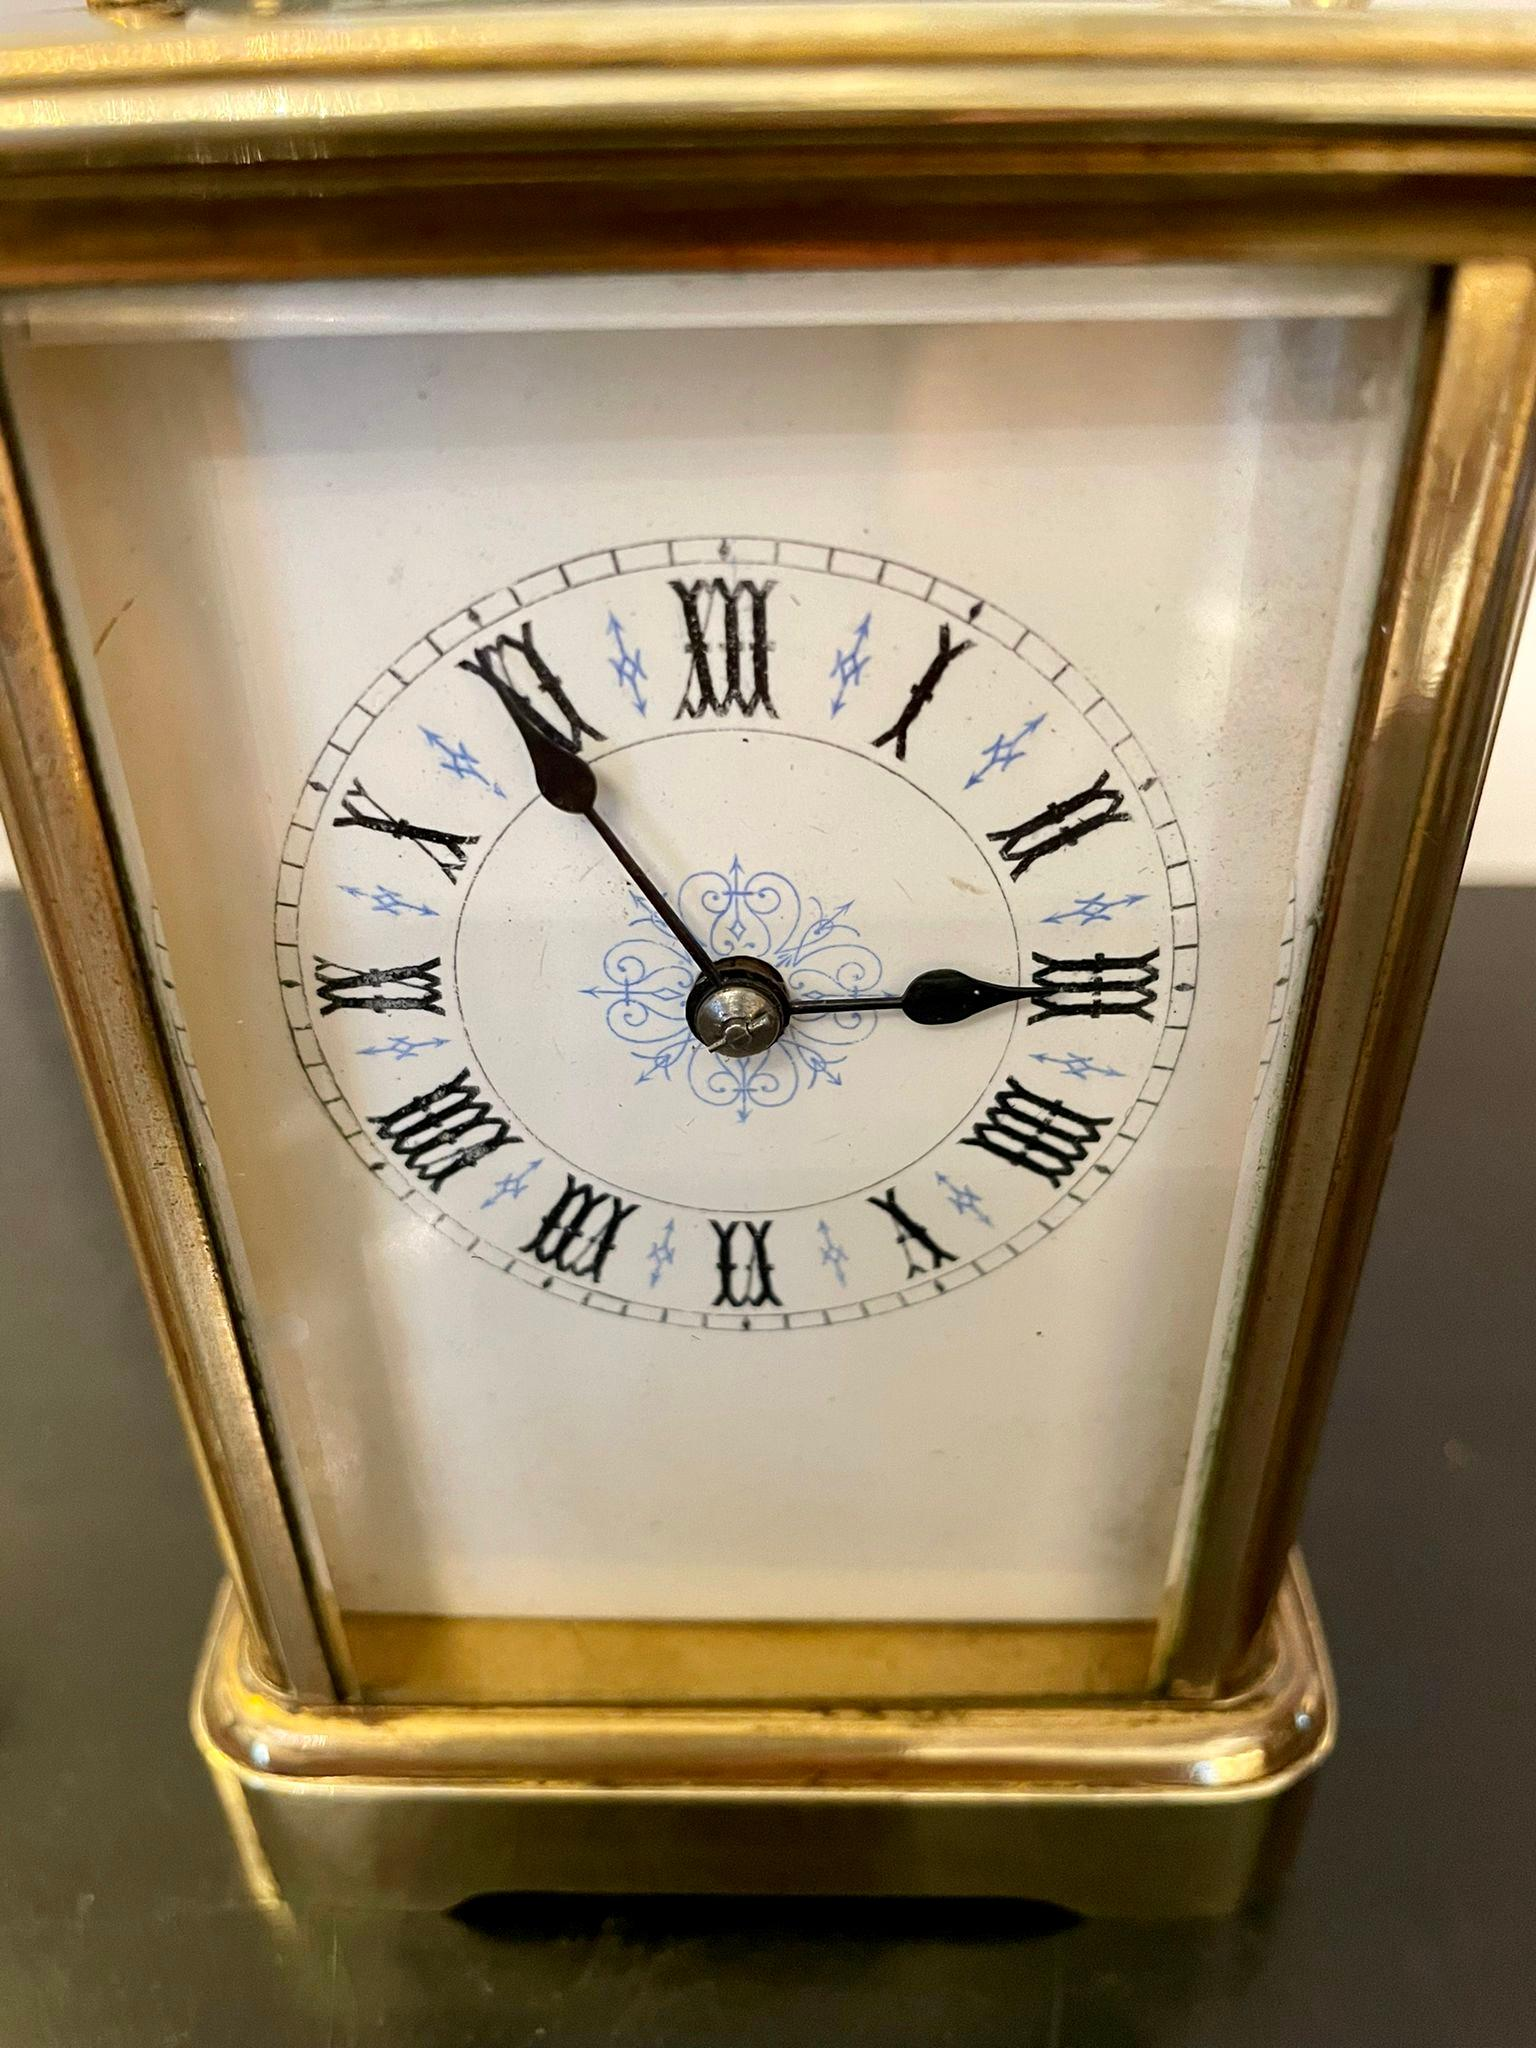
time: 2:54
